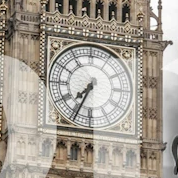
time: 7:34
